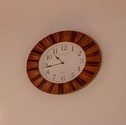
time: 10:43
